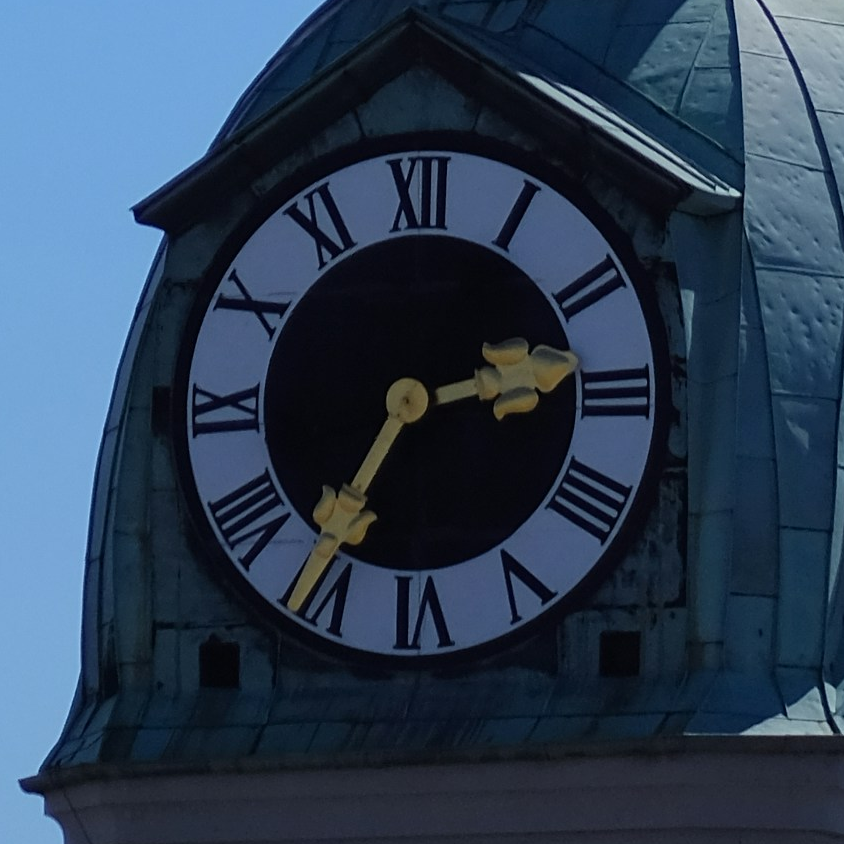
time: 2:35
